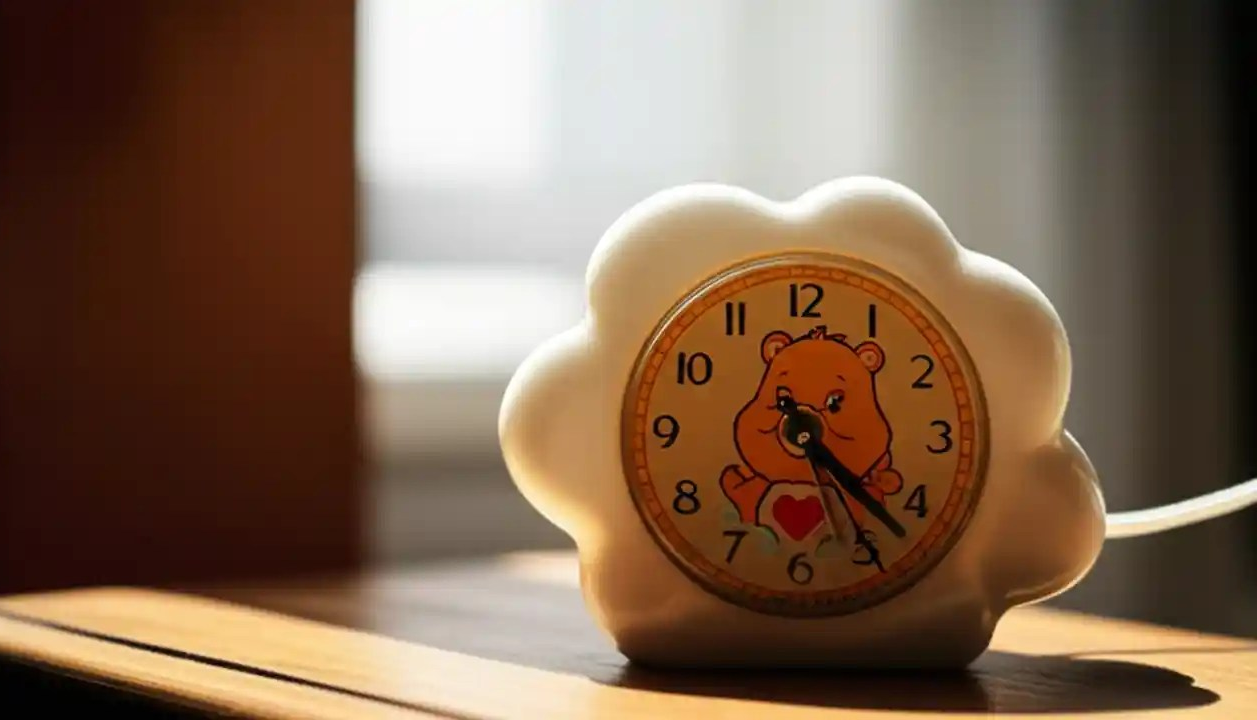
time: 4:22
